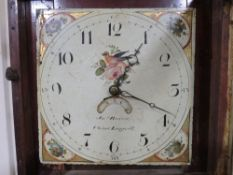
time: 1:18
